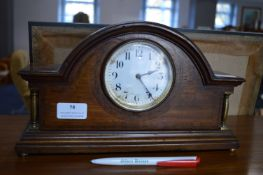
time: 2:23
